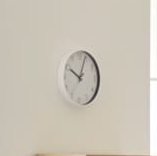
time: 10:03
